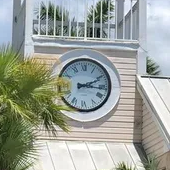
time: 3:10
